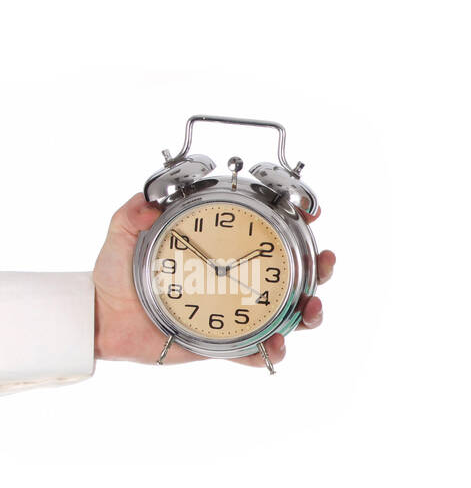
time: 1:51
